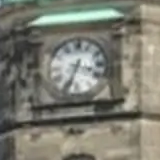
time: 3:33
